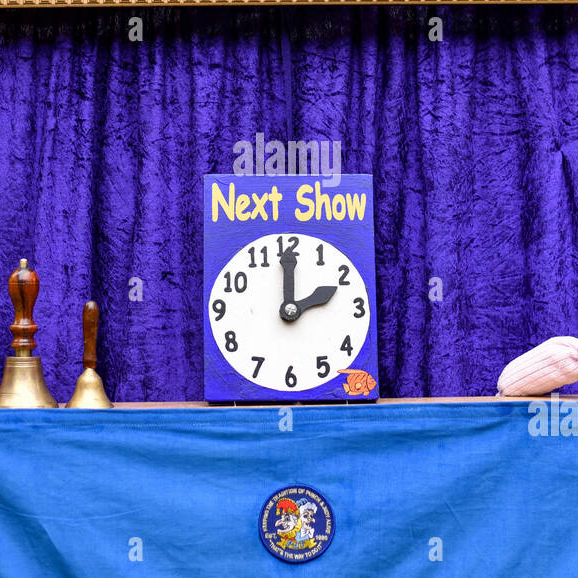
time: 2:00
